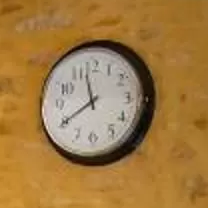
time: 11:40
